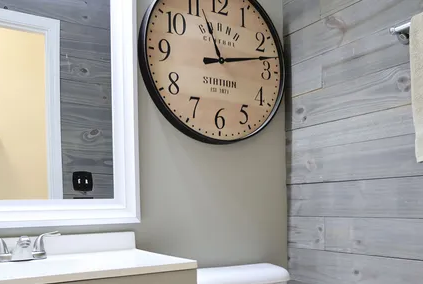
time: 11:13
